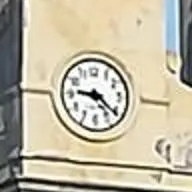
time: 9:21
